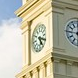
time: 5:18
